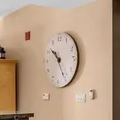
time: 10:25
